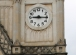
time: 9:15
